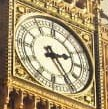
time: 2:23
